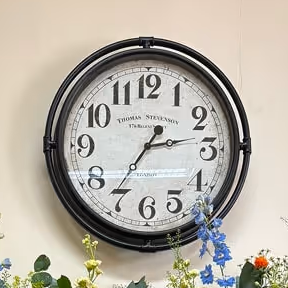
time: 2:35
